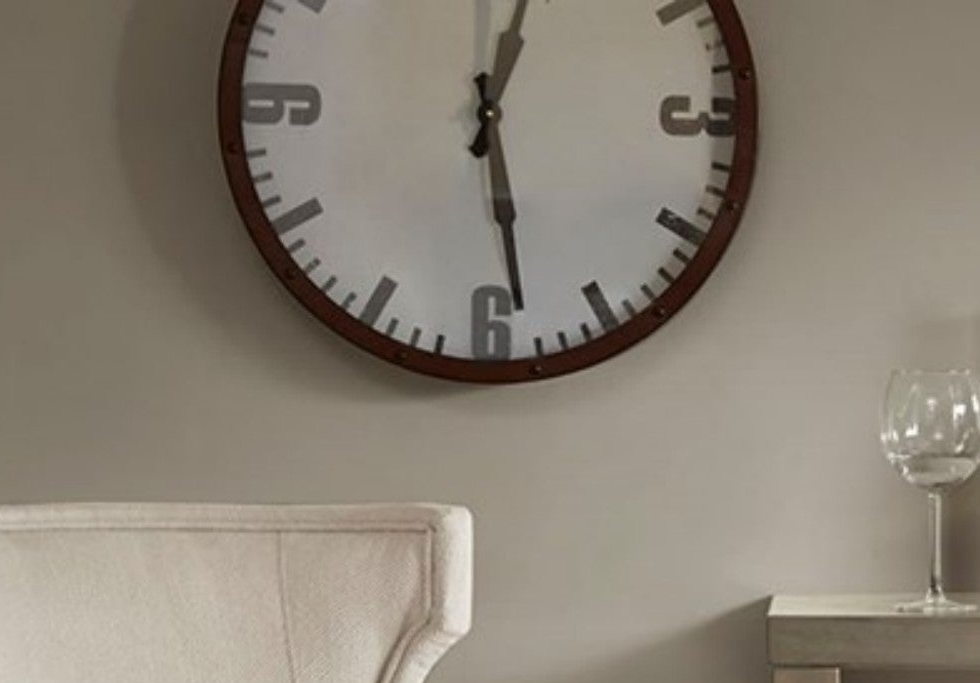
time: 12:28
